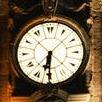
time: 6:30
